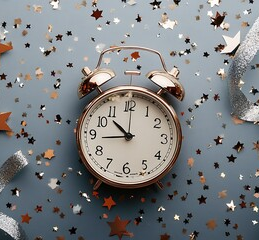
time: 10:43
